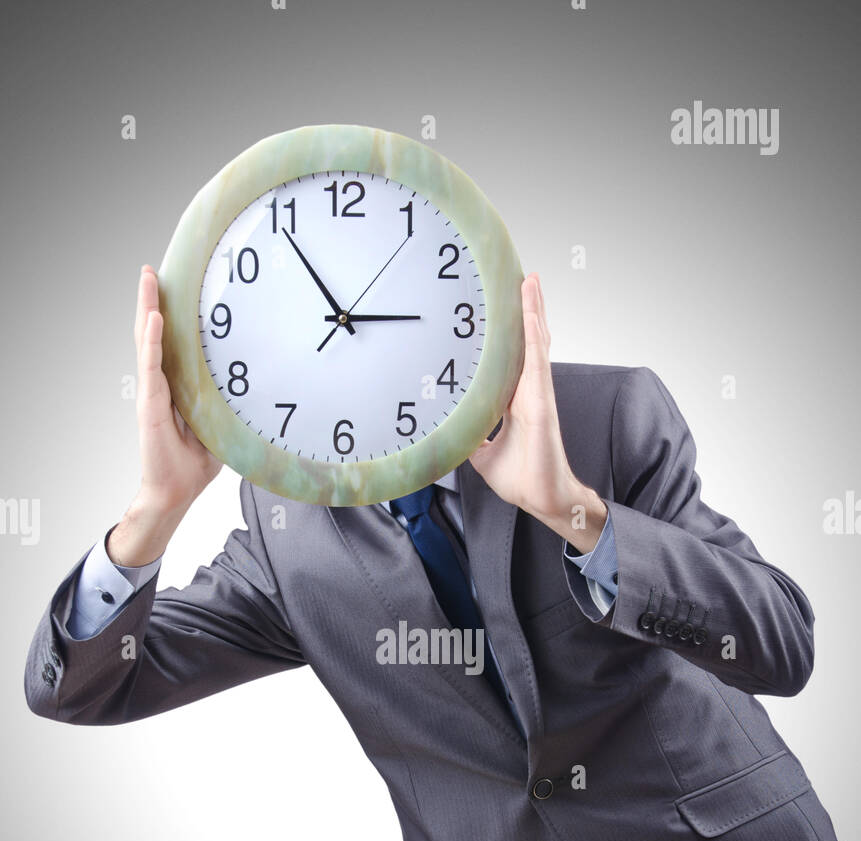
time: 2:54
